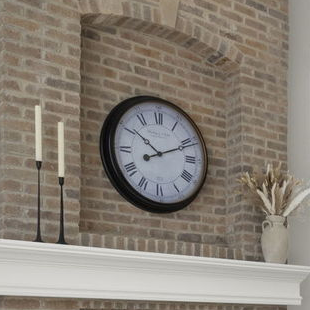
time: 10:11
